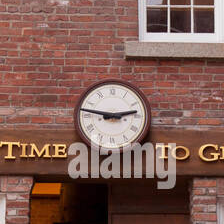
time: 2:46
